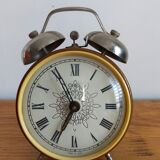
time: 6:55
